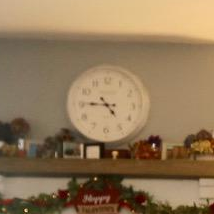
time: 4:45
